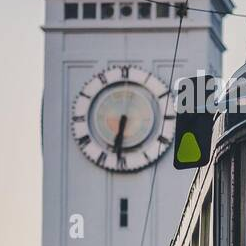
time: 6:31
